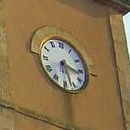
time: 3:27
